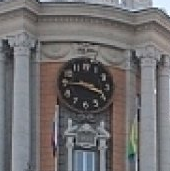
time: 3:45
